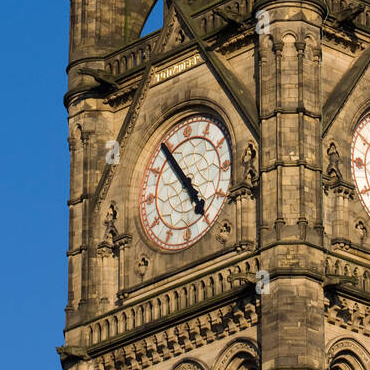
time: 4:54
